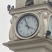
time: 3:56
